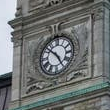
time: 4:52
